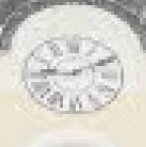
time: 9:11
